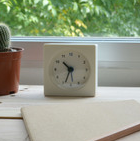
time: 10:33
